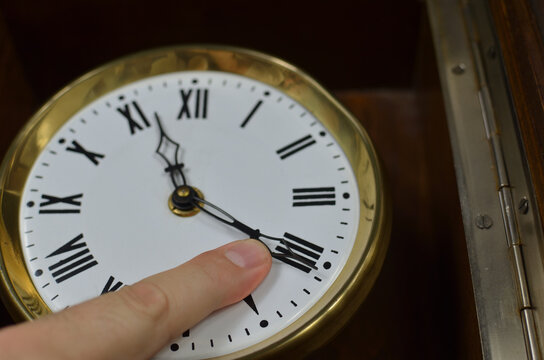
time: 11:20
